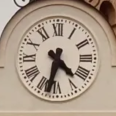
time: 4:32
